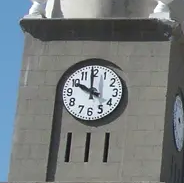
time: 9:59
